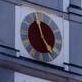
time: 4:57
